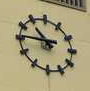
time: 10:45
